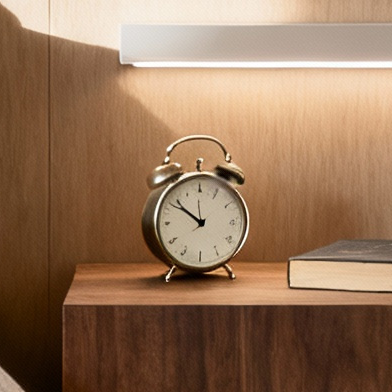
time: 11:51
